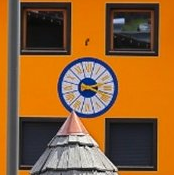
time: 2:18
